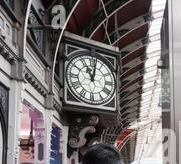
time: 11:01
